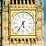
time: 5:35
